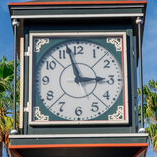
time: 2:57
